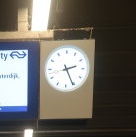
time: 2:25
